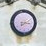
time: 3:09
